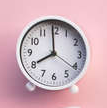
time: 7:59
